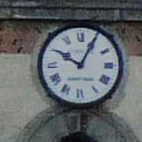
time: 10:04
